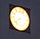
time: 7:38
